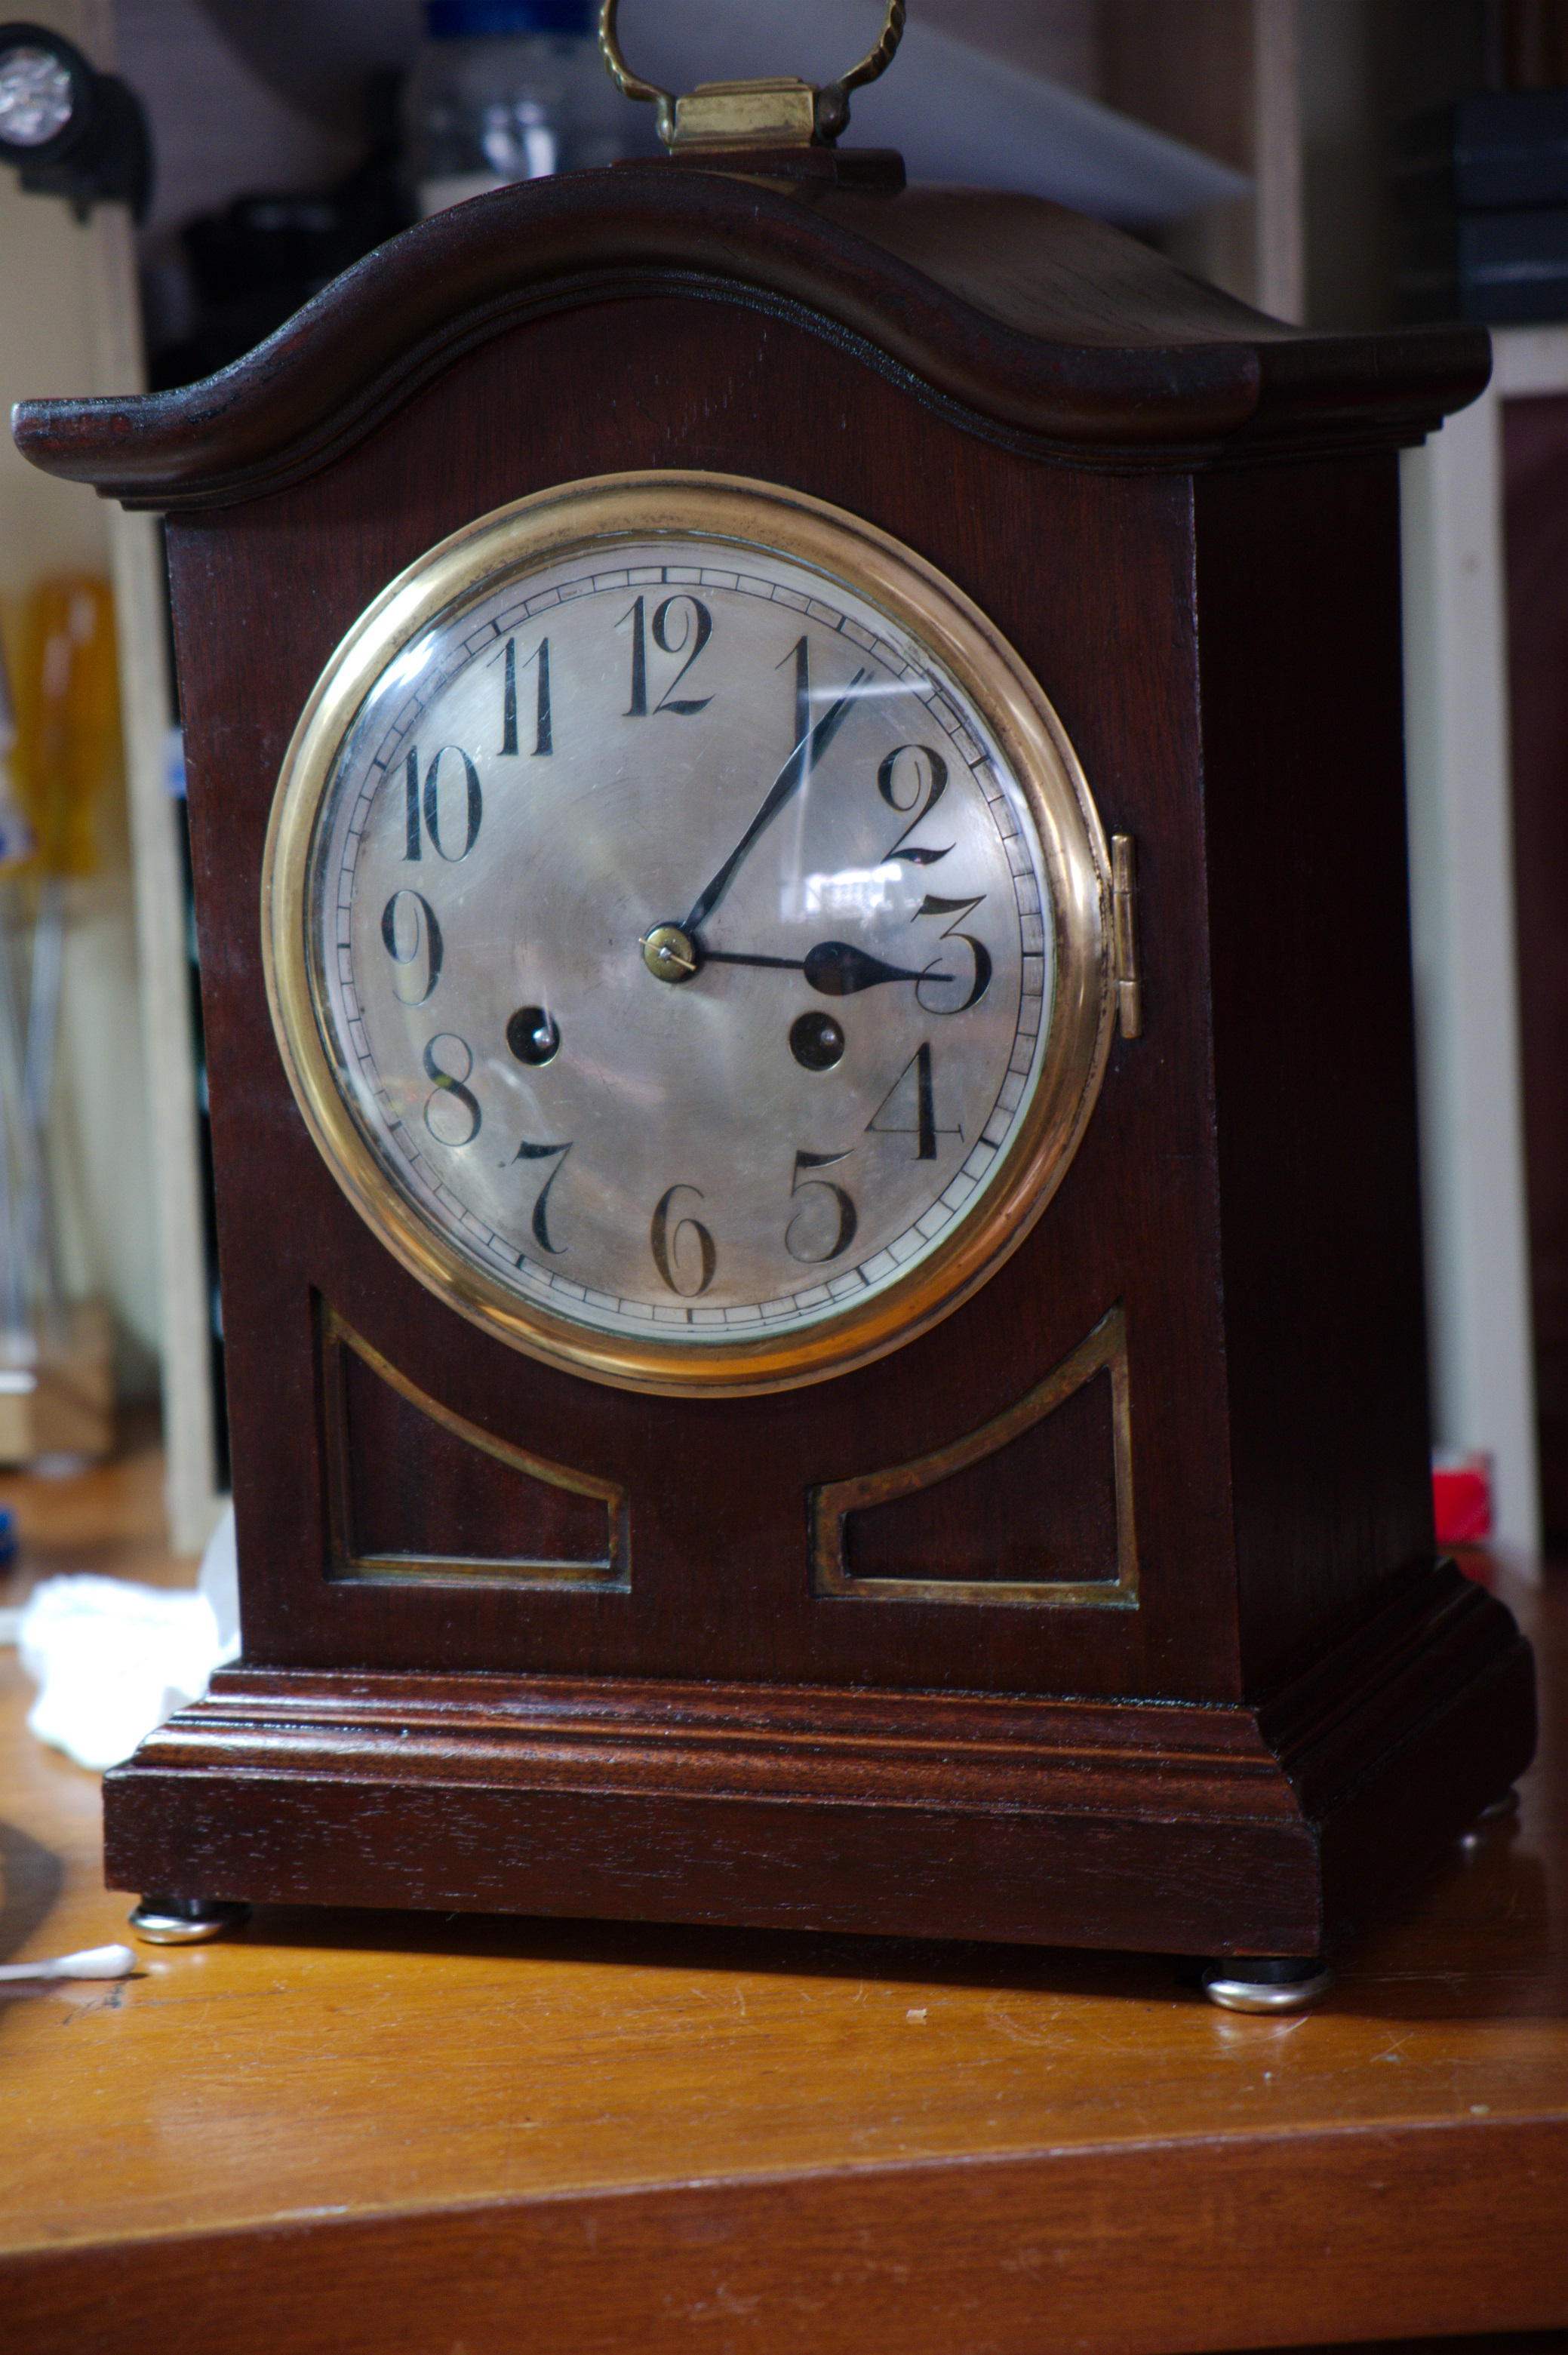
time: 3:06
